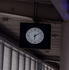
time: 6:10
